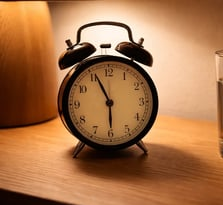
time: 5:55
